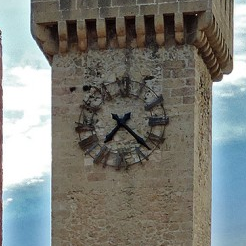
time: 7:22
